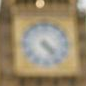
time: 4:23
